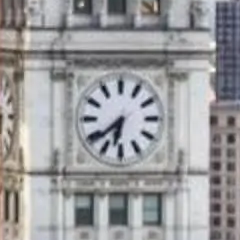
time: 6:38
